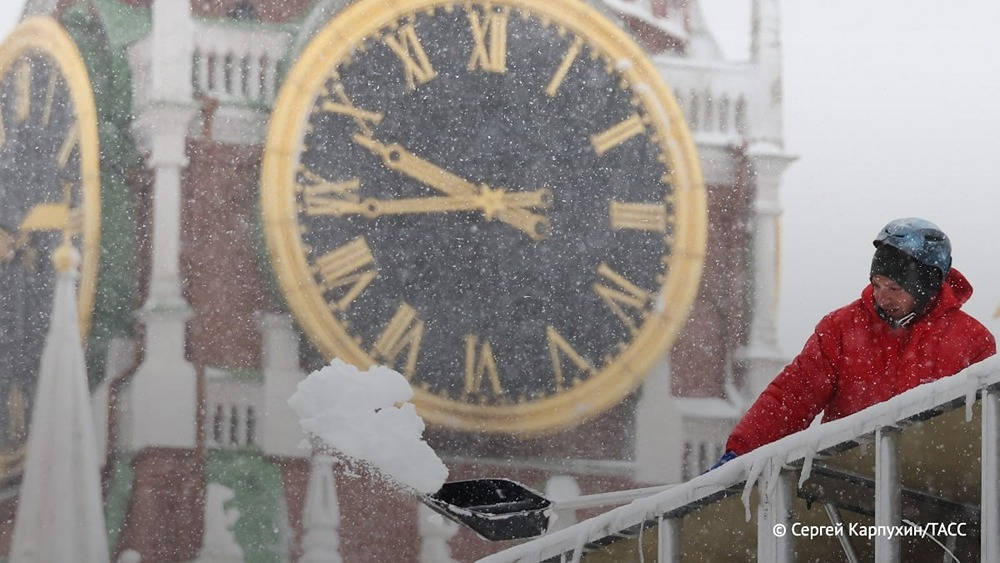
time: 9:44
